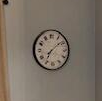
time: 7:08
